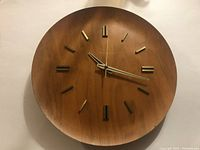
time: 10:18
